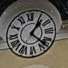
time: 1:22
